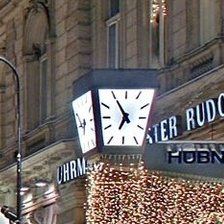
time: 6:54
